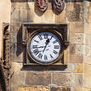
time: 12:43
